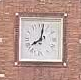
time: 8:01
